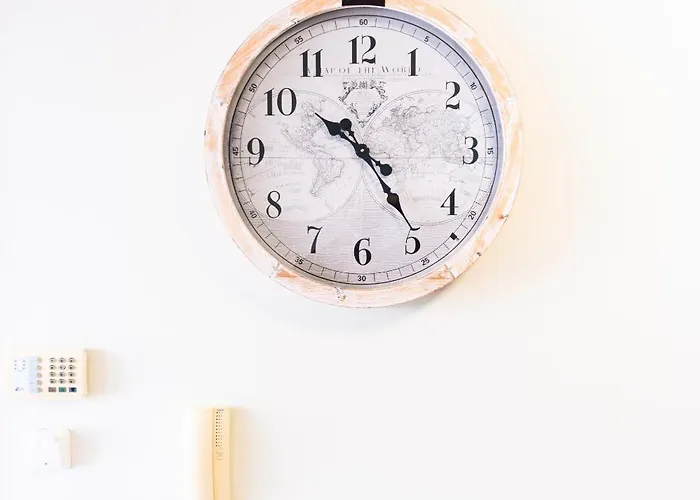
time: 10:24
